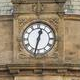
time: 12:32
